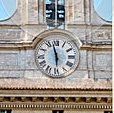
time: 5:57
